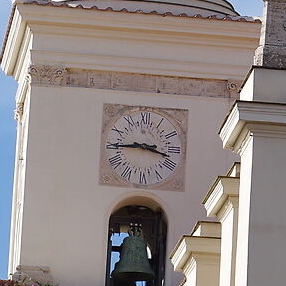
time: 3:44
